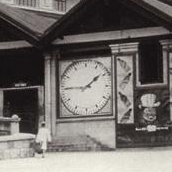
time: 1:45
